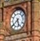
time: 5:38
